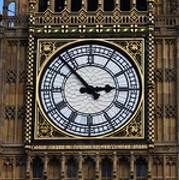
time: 2:52
